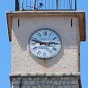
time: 2:47
